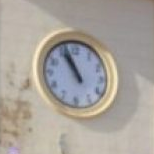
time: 10:56
